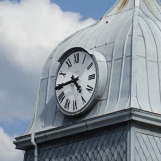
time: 4:44
